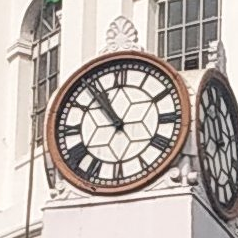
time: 10:53
